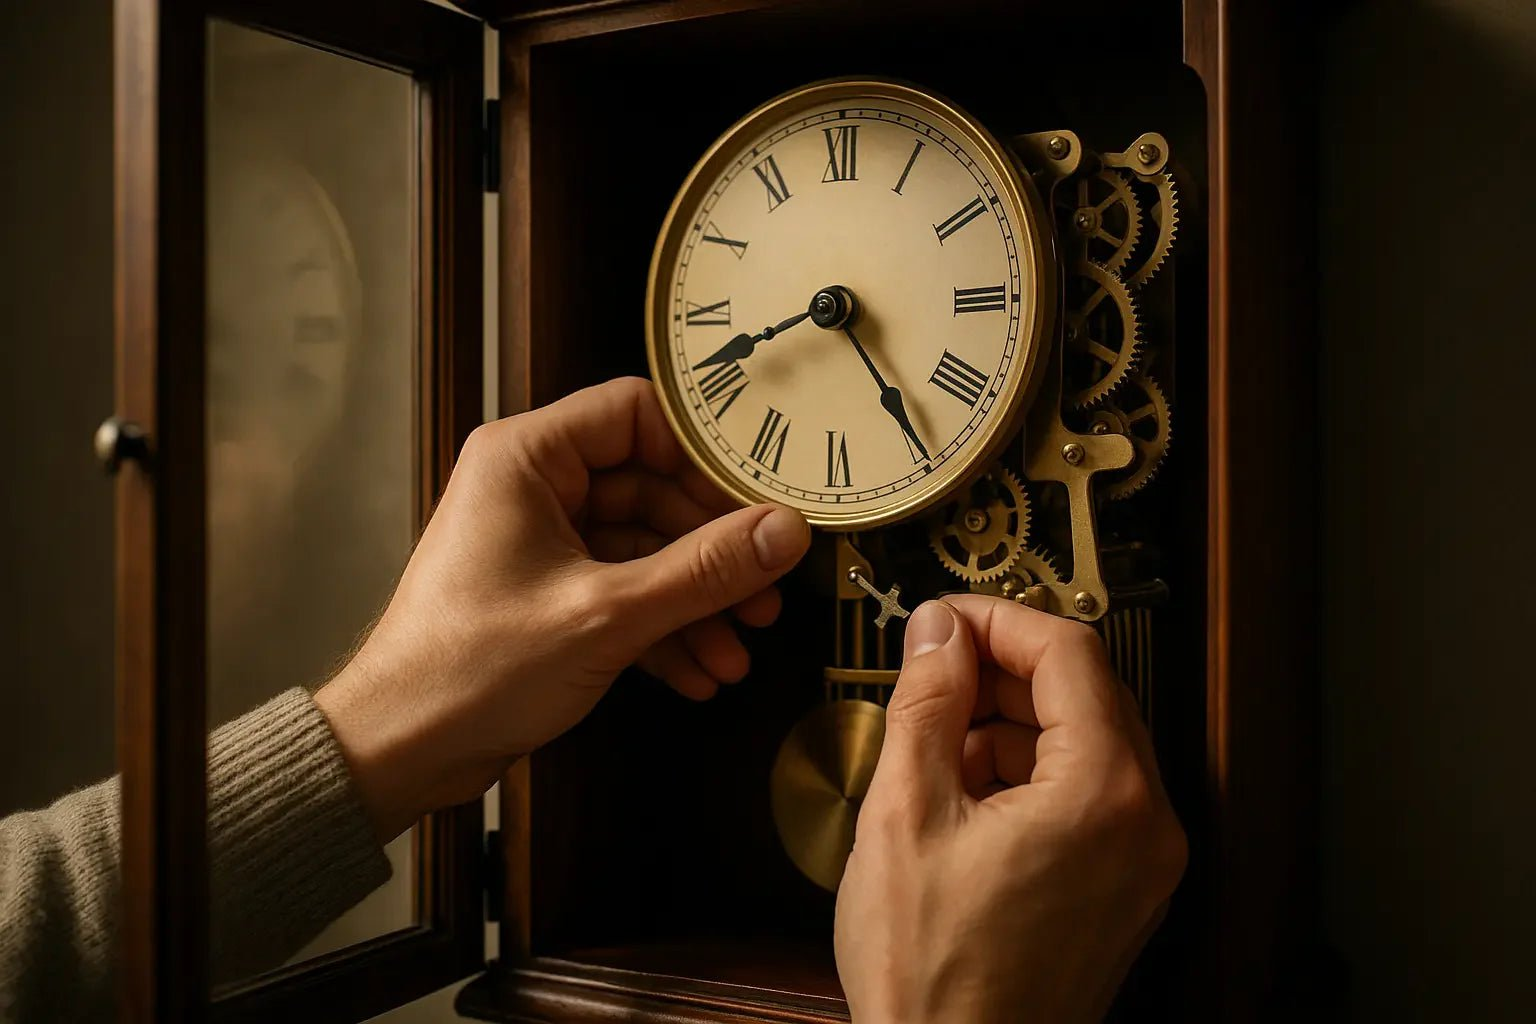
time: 4:42
